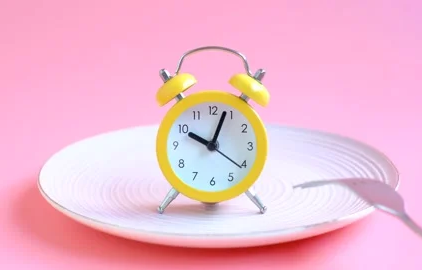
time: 10:03
